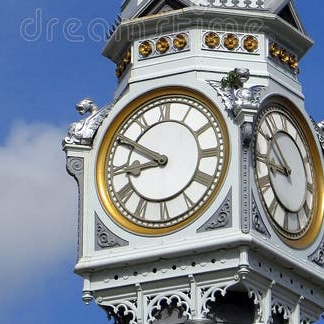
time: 8:49
